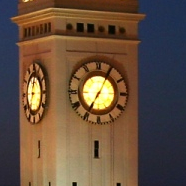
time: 7:04
